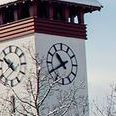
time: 10:40
